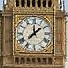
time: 12:08
